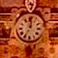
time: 12:35
